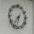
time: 6:36
